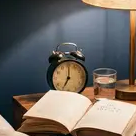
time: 7:00
